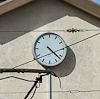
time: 4:21
